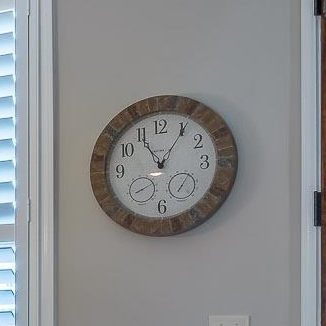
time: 11:05
